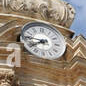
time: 7:45
